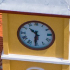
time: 10:30
